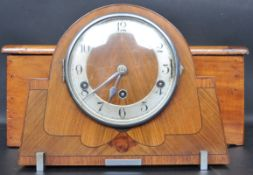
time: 6:38
